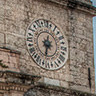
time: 6:32
